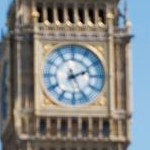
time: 2:25
